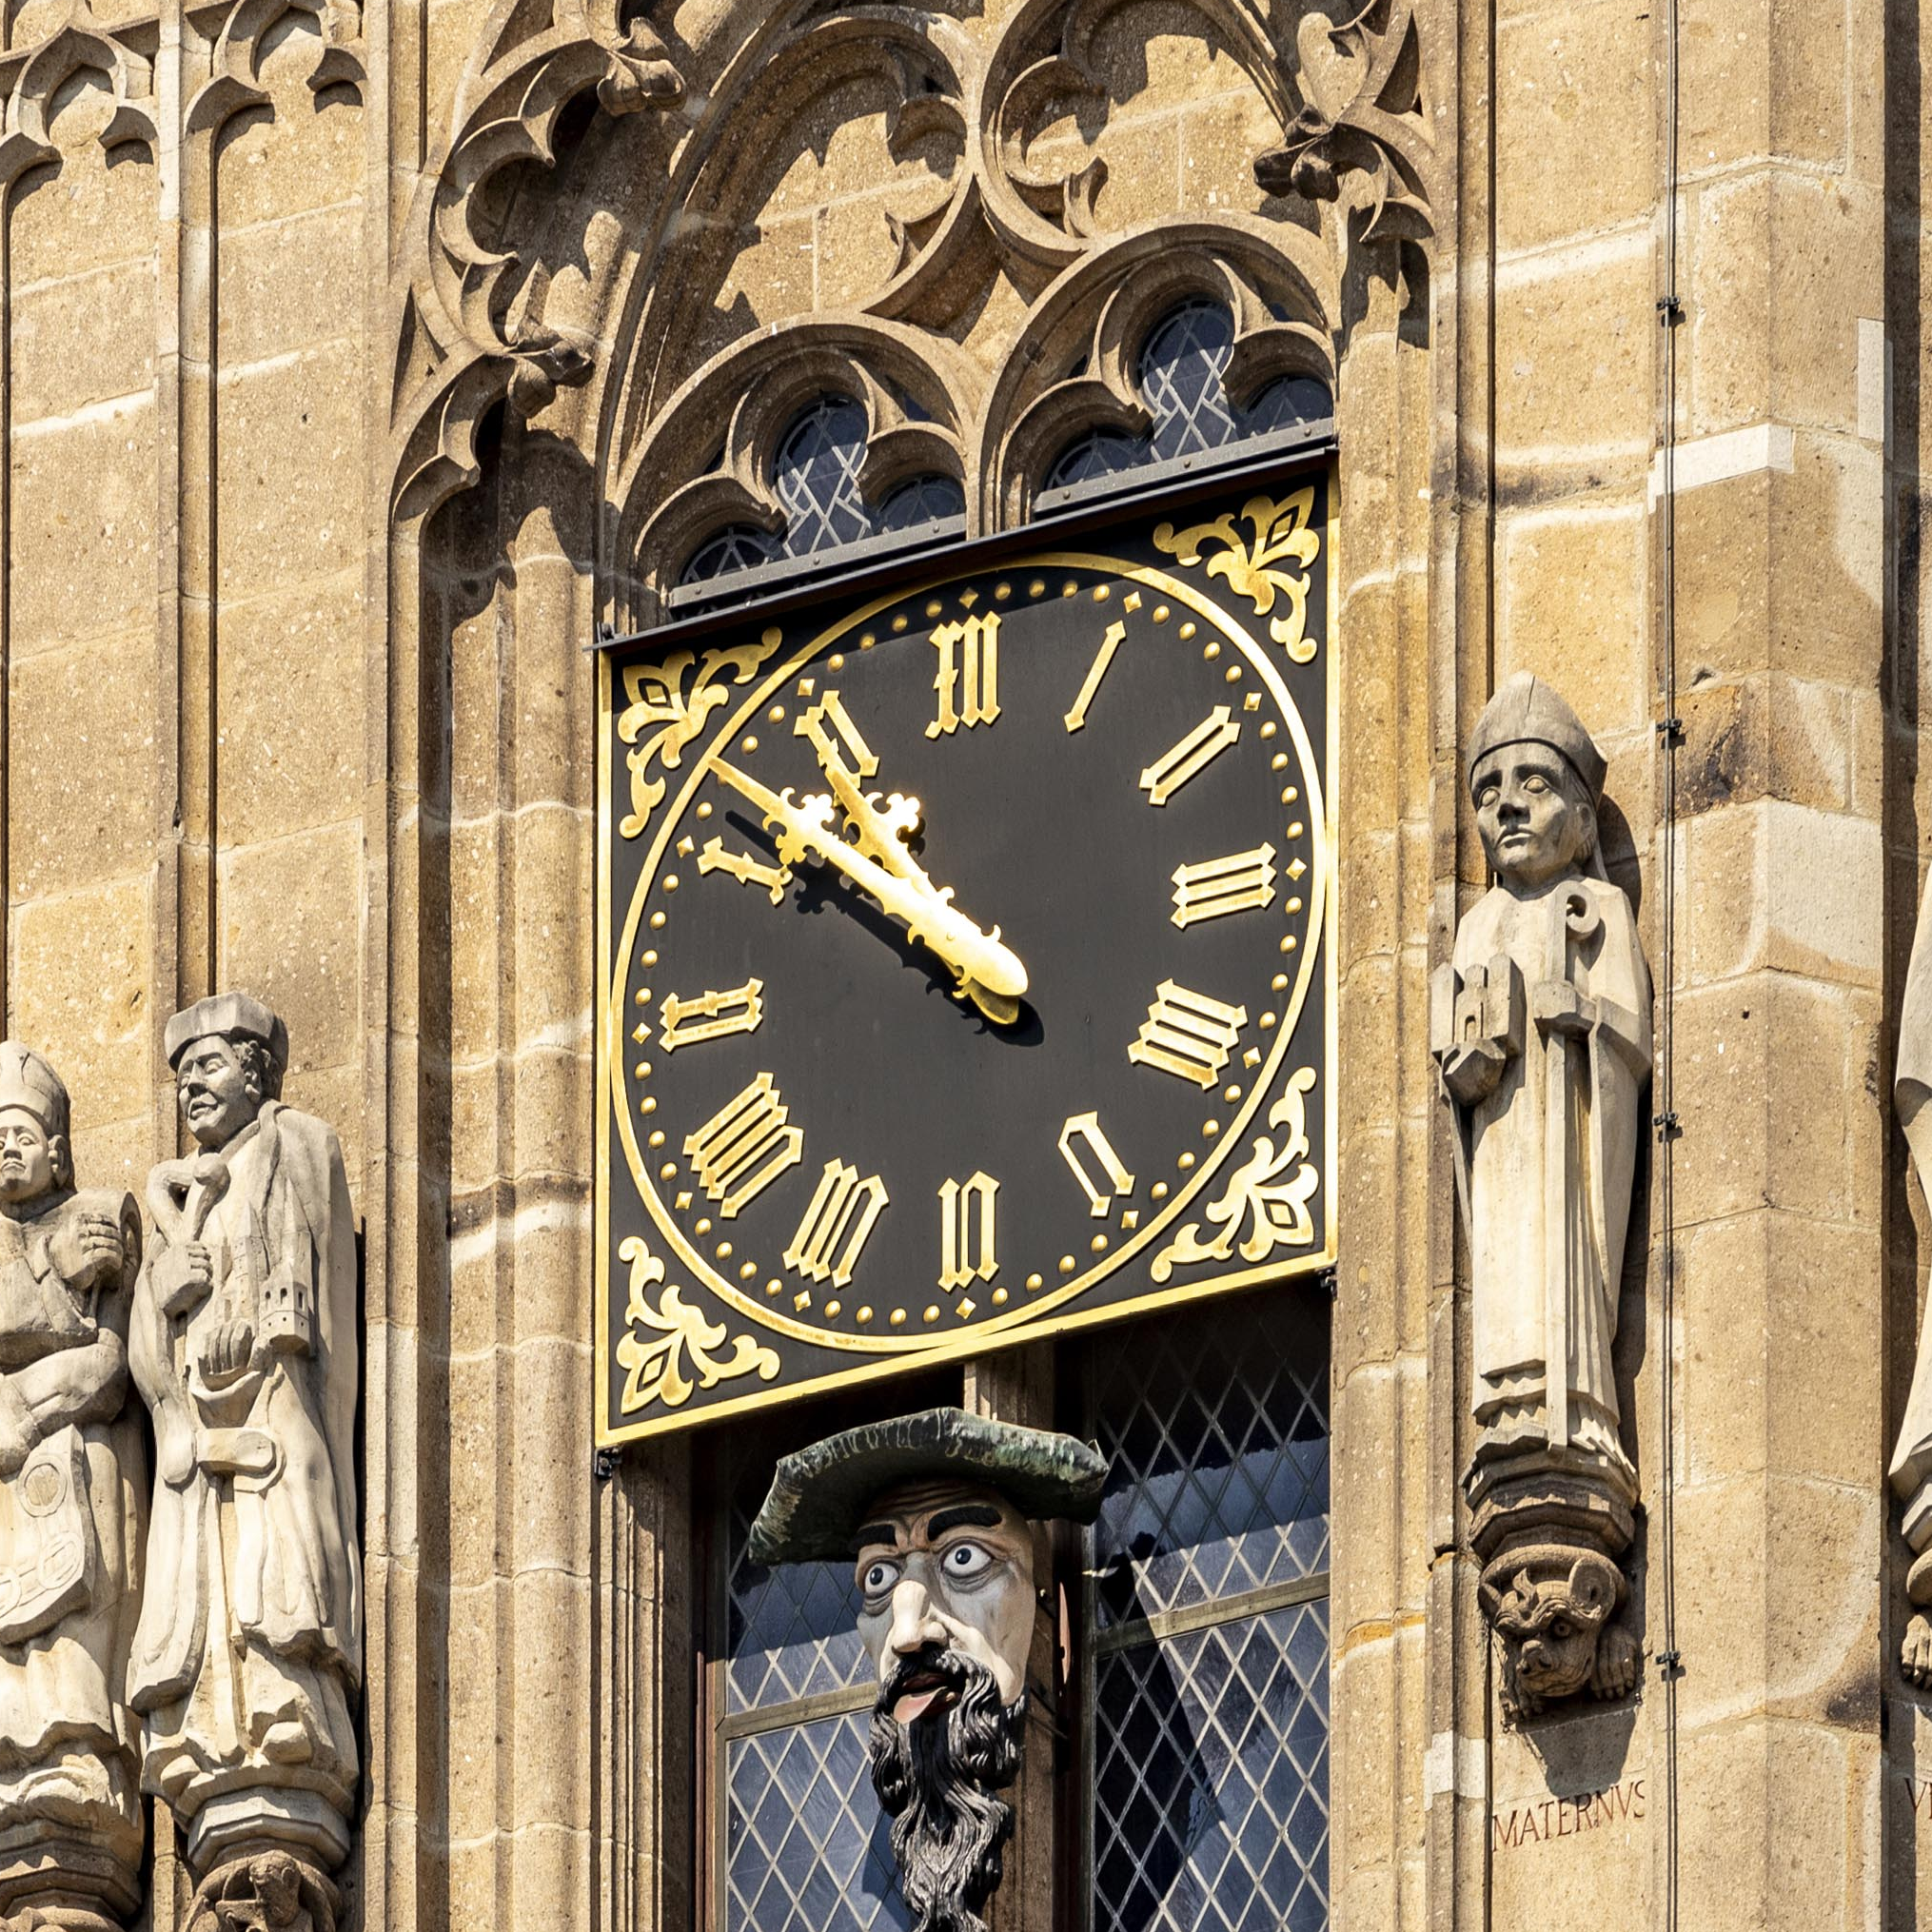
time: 10:51
